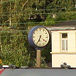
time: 6:34
